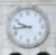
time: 9:43
